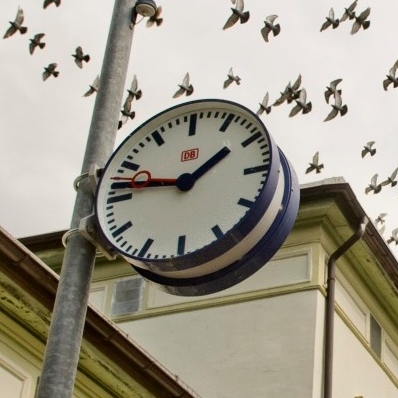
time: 1:46
